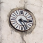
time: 5:14
